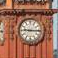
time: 9:15
